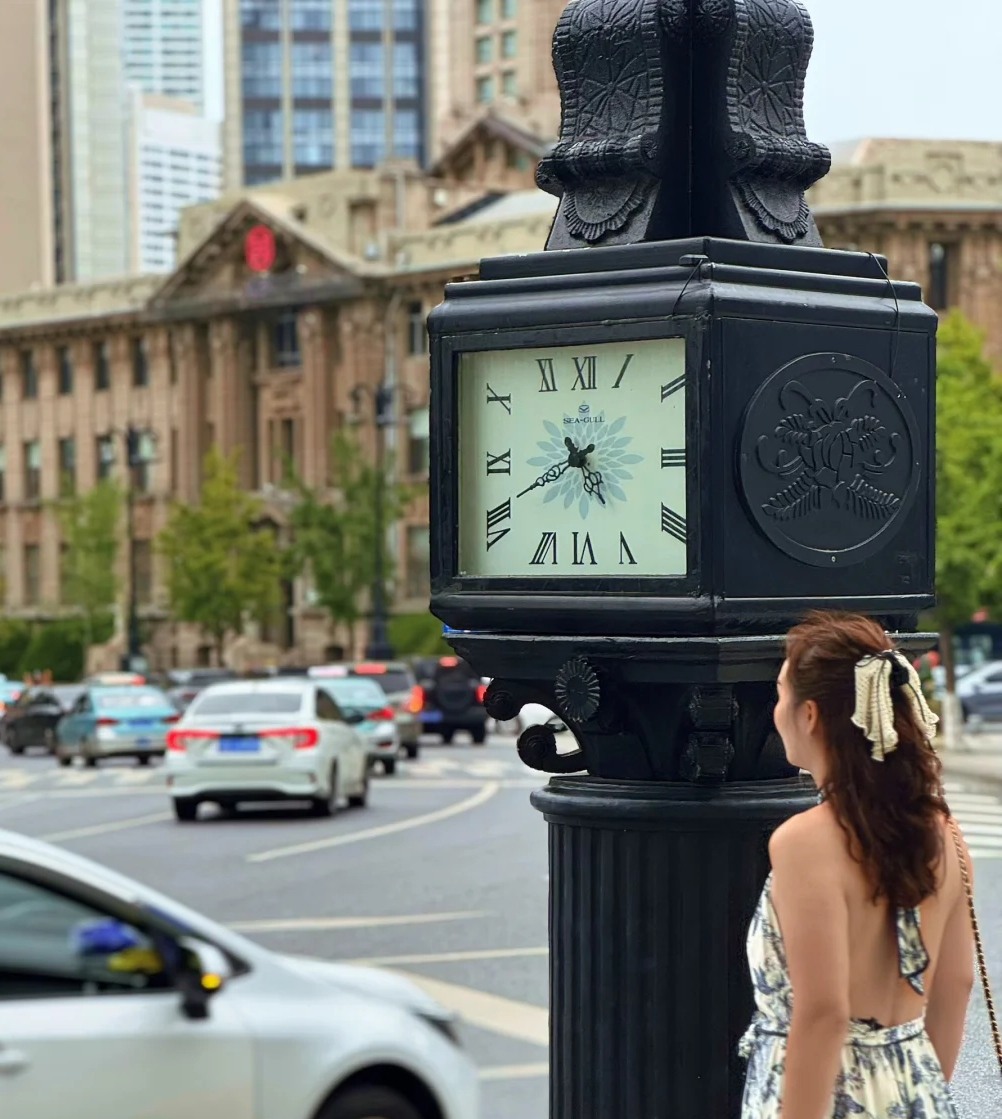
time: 4:40
